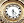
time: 4:29
